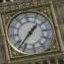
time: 1:37
